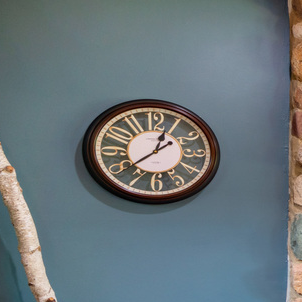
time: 12:38
